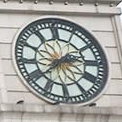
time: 2:38
